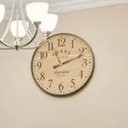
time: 2:11
